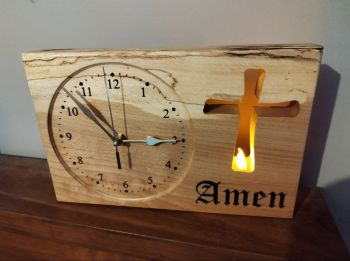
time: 2:53
